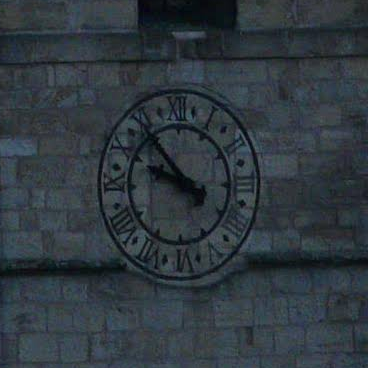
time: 9:53
